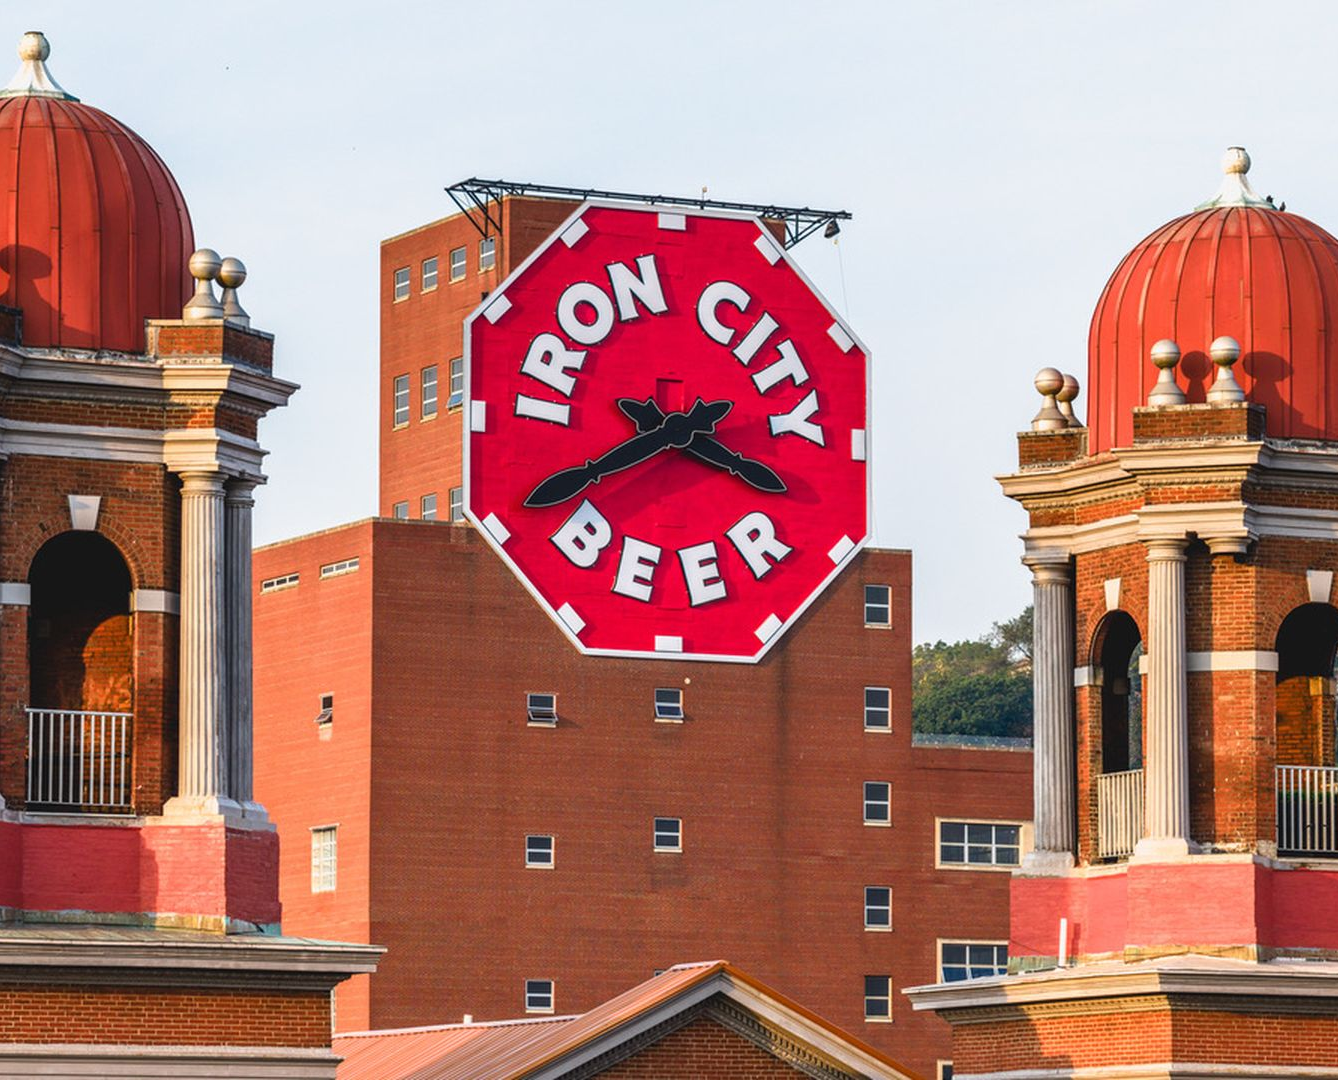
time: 3:40
